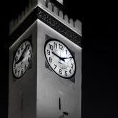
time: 9:10
